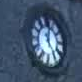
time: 12:24
